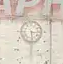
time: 3:28
